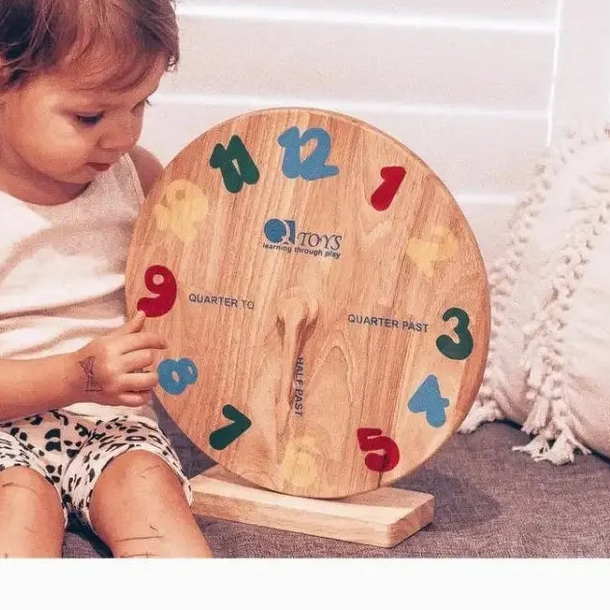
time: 6:15
